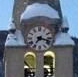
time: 7:17
